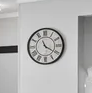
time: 11:20
